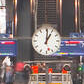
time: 1:01
